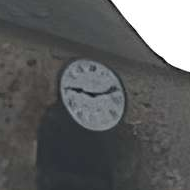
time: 9:11
